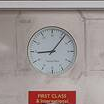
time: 9:06
